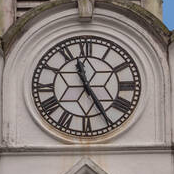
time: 11:24
